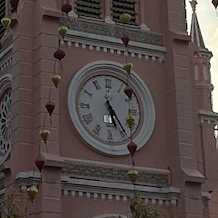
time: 5:24
